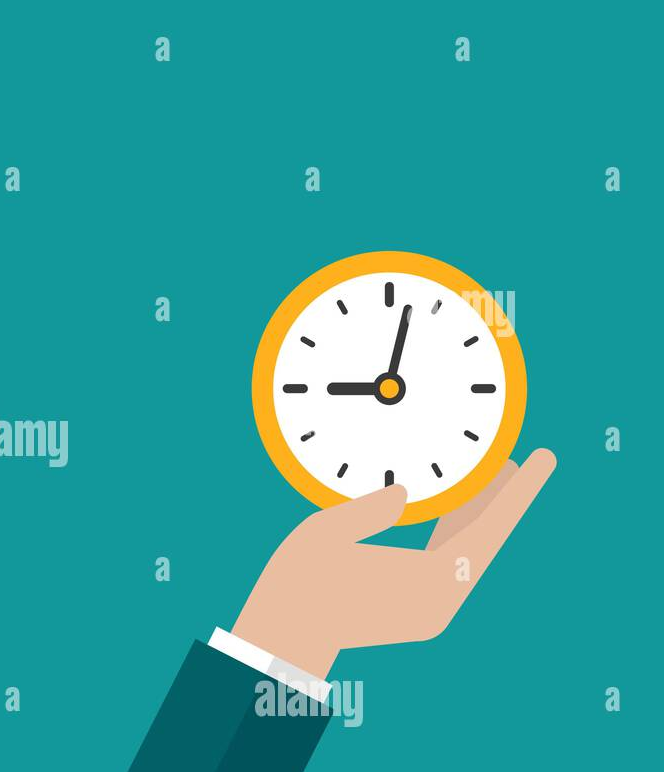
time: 9:02
